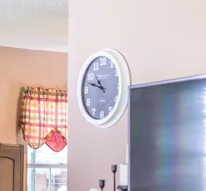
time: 10:47
